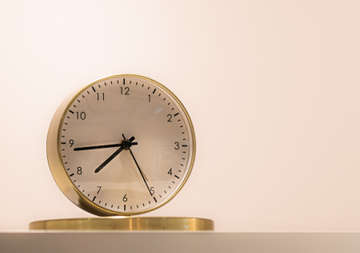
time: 7:43
